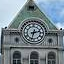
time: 2:32
